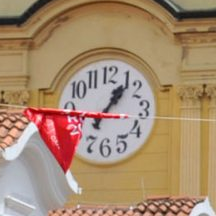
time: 1:06
